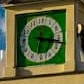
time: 6:17
